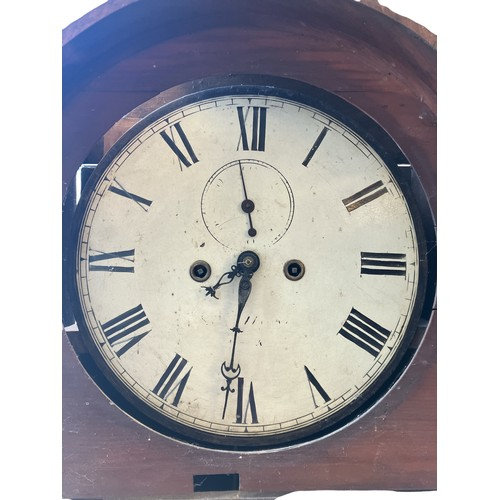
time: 7:31
